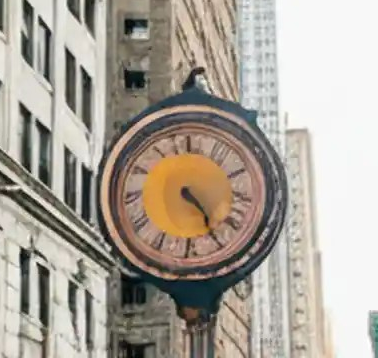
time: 4:24
